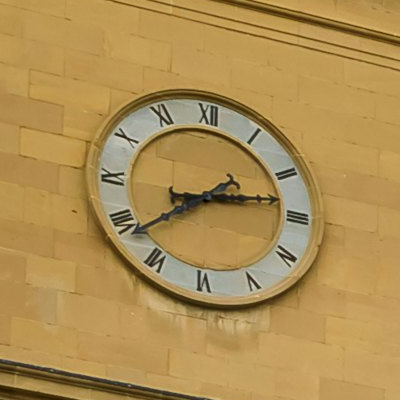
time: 2:38
